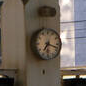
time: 7:17
